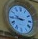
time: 9:44
